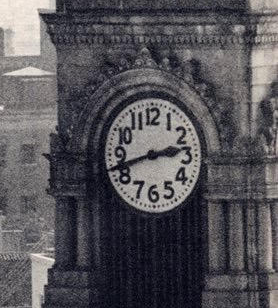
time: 2:42
